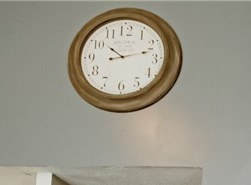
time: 10:12
